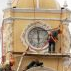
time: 5:59
